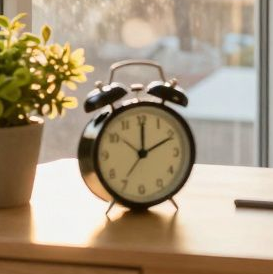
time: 12:10
